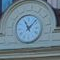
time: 11:07
